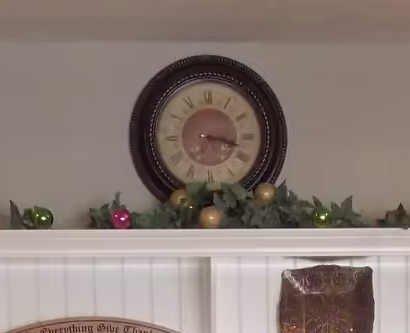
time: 3:17
